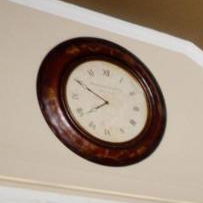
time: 7:49
